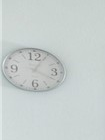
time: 4:04
